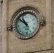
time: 10:51
